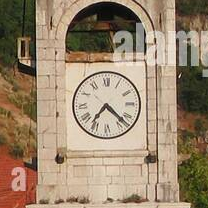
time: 7:22
